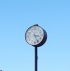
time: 3:26
